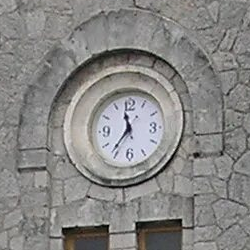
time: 11:36
